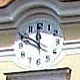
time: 11:49
